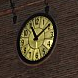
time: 11:09
